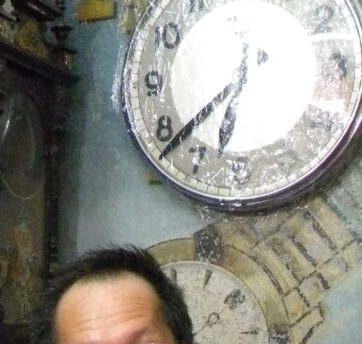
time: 6:38
